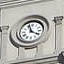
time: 3:56
